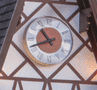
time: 10:41
